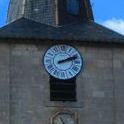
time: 2:11
